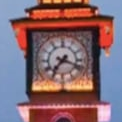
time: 7:18
